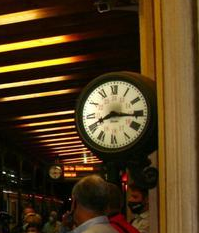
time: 8:15
